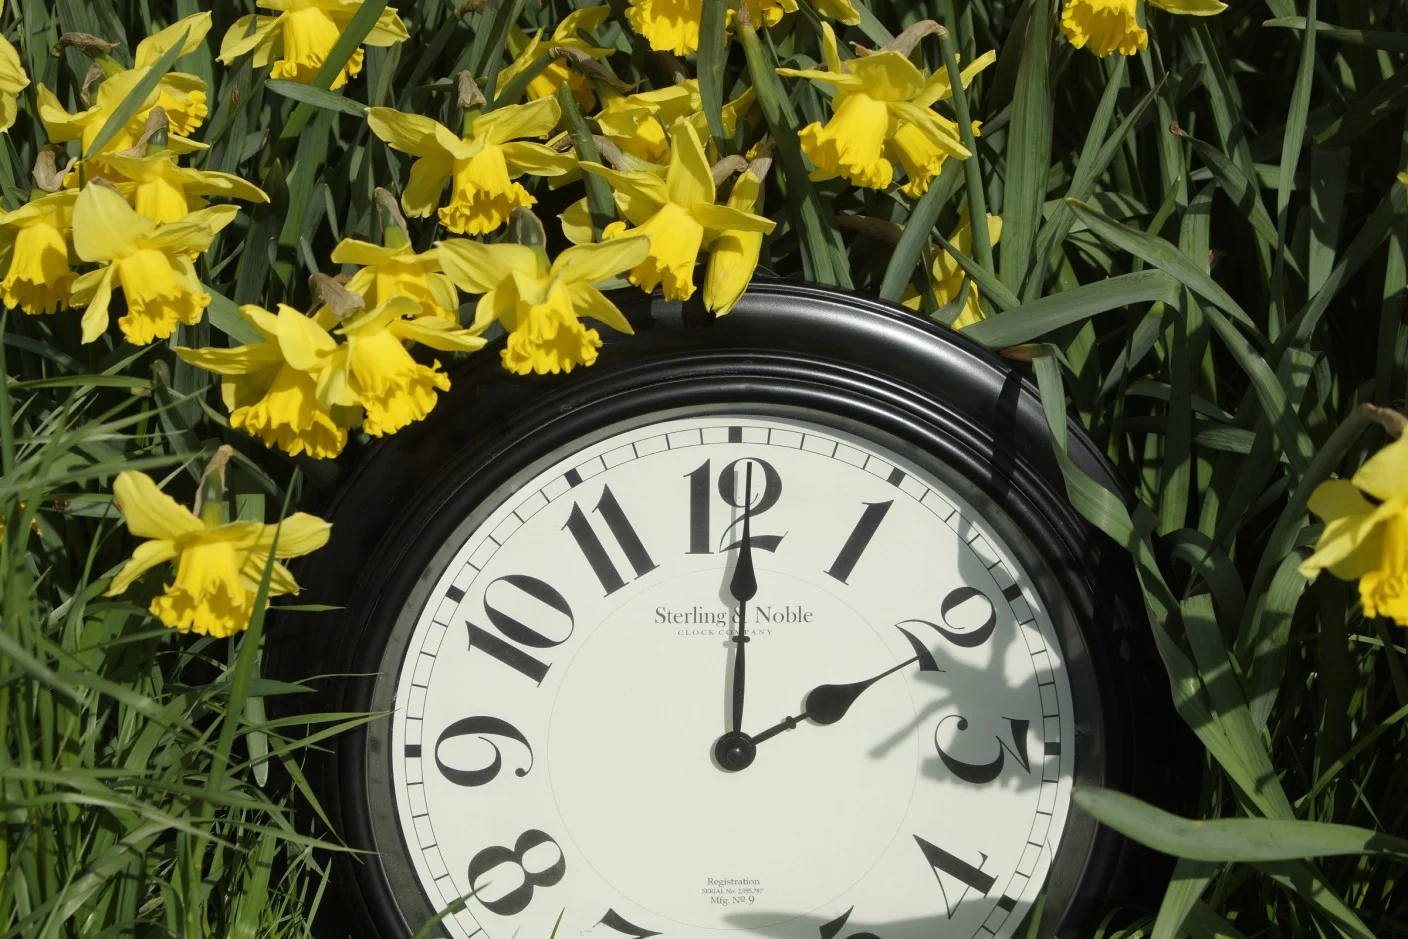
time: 2:00
